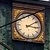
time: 3:09
